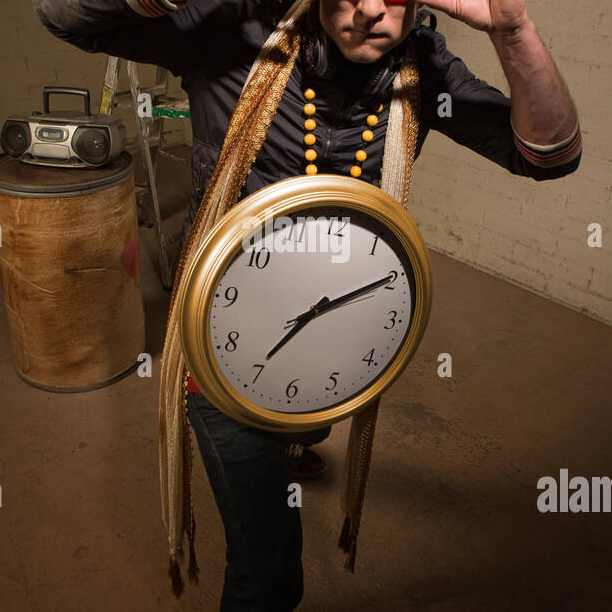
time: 7:09
